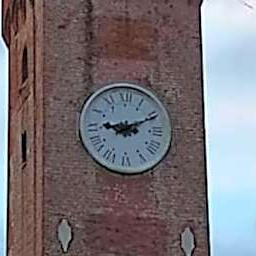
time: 9:10
